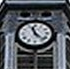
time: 11:22
